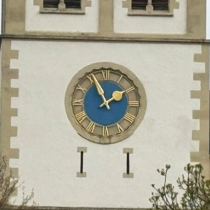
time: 1:56
